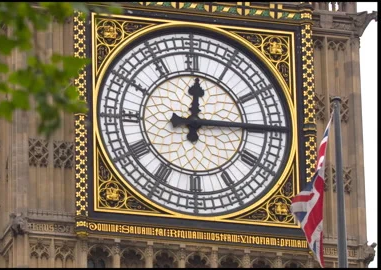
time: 12:14
